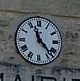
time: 11:22
